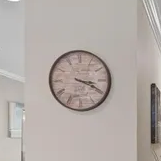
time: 3:19
